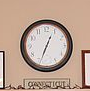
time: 12:33
